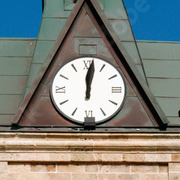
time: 12:01
